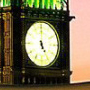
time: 4:59
